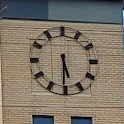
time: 5:30
